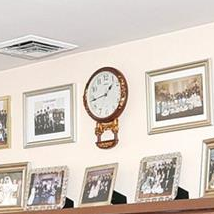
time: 1:43
